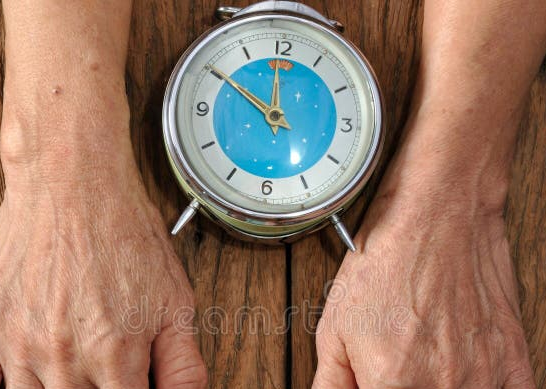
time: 11:50
